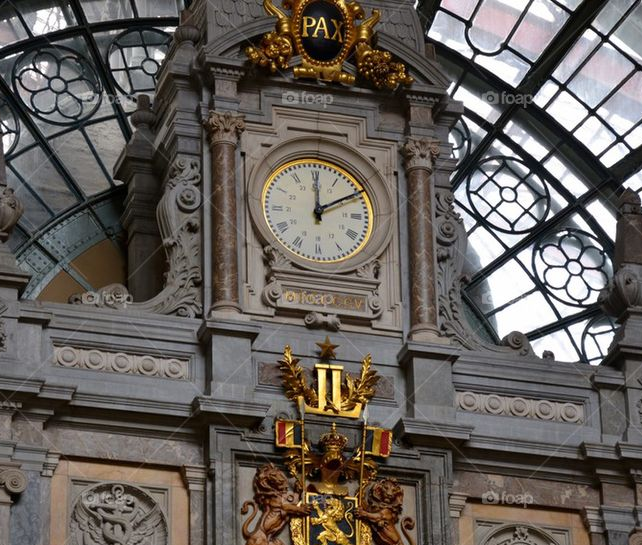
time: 2:00
